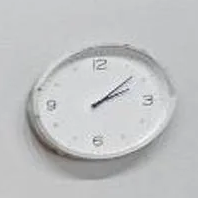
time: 2:08
